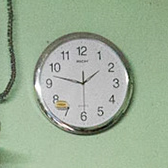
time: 1:47
